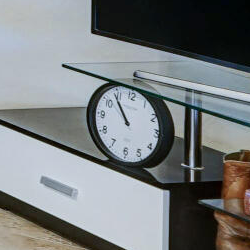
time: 10:54
